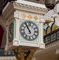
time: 10:54
